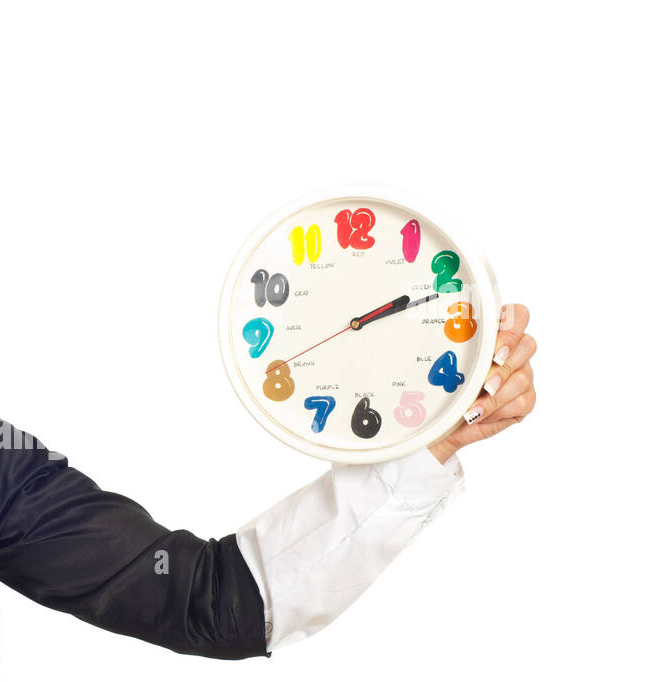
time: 2:11
